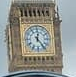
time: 12:23
